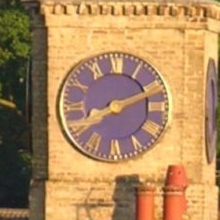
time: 8:11
